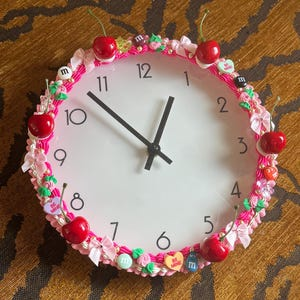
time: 12:52
